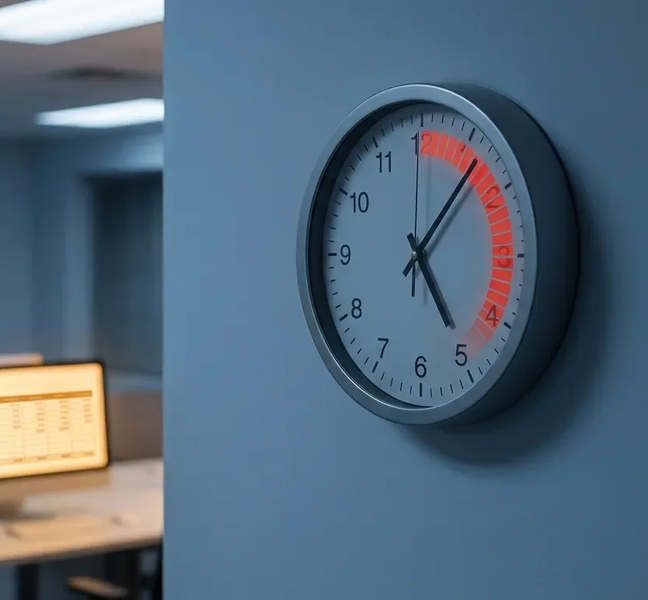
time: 5:06
